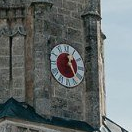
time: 12:24
